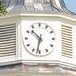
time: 10:32
